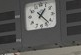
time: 1:22
